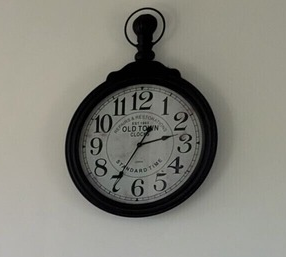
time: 2:35
